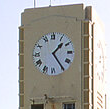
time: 1:24
